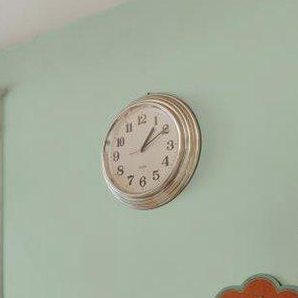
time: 1:09
